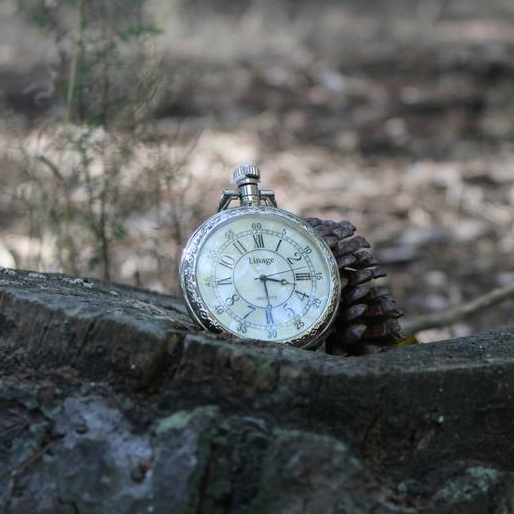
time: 3:29
